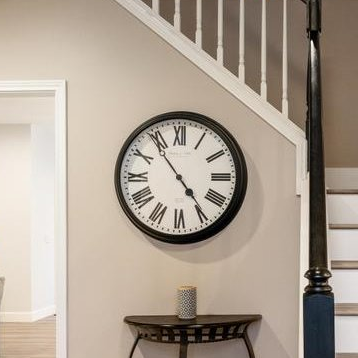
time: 4:53
